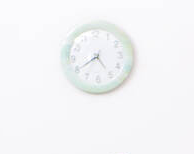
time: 4:40
